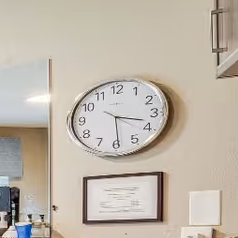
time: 3:29
